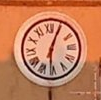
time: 6:04
